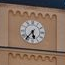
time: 5:36
